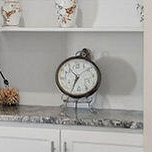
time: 10:34
